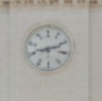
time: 8:11
